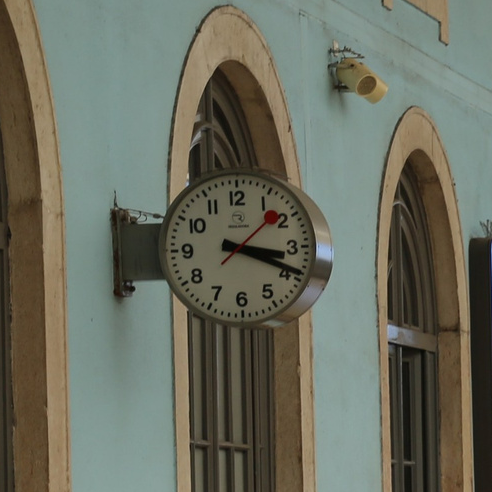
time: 3:18
